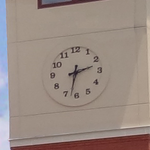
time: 2:32
